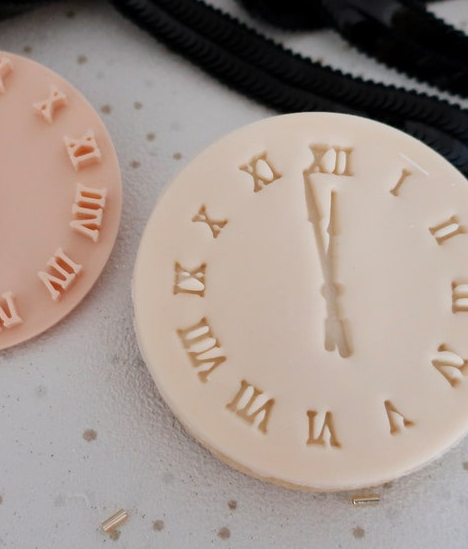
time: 11:57
